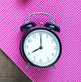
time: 8:00
